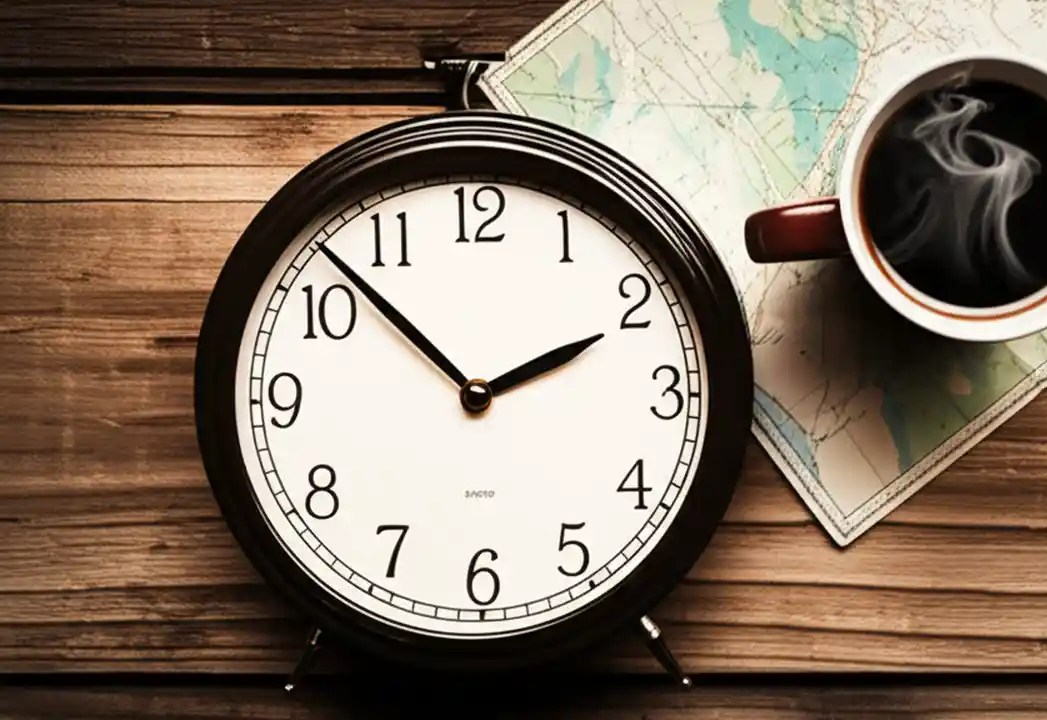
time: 1:52
